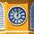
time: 12:07
